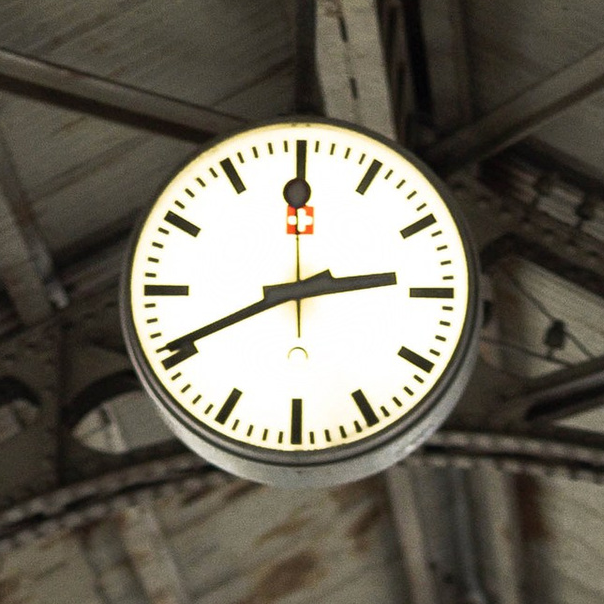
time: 2:40
